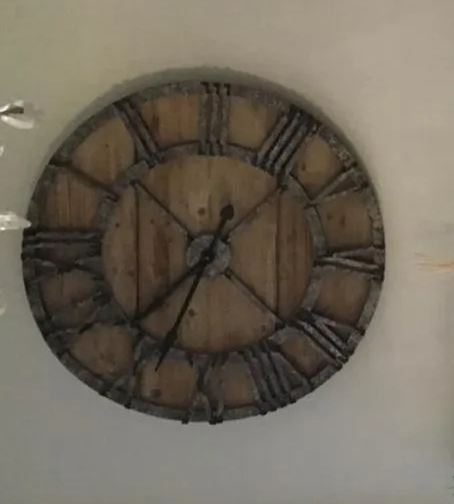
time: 7:34
